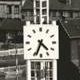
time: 4:33
